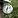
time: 7:32
